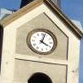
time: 4:03
